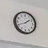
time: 1:41
